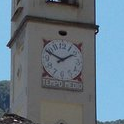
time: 1:49
